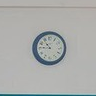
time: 10:45
